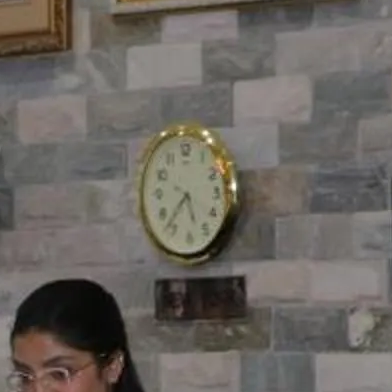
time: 5:36
